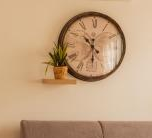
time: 10:29
